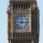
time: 12:16
